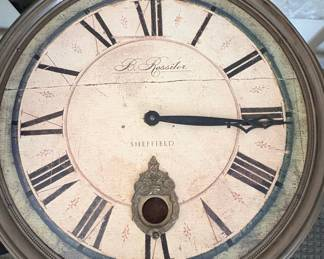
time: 3:15
